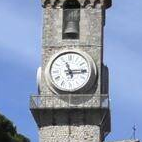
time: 11:14
